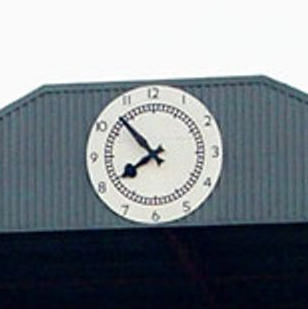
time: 7:52
